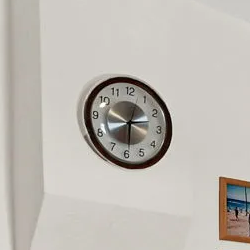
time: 2:29
